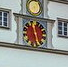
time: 11:28
